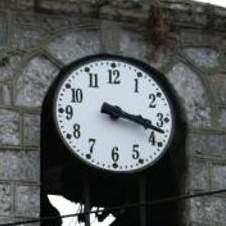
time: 3:17
